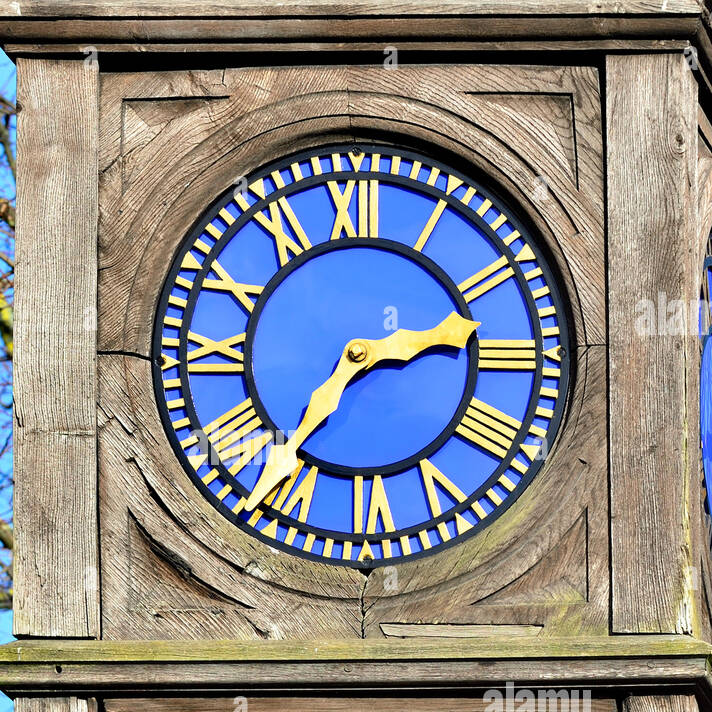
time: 2:36
